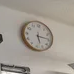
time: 5:14
